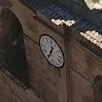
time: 12:34
